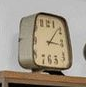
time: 3:07
